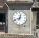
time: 12:41
